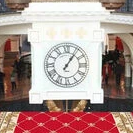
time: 1:06
